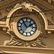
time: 1:54
